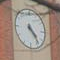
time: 4:23
